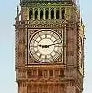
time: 9:12
